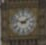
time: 1:47
